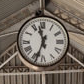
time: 11:33
